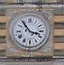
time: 3:54
